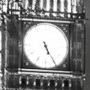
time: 5:25
